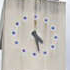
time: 4:27
